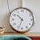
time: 10:33
